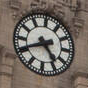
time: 4:40
